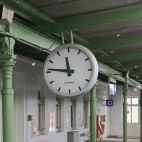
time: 11:46
